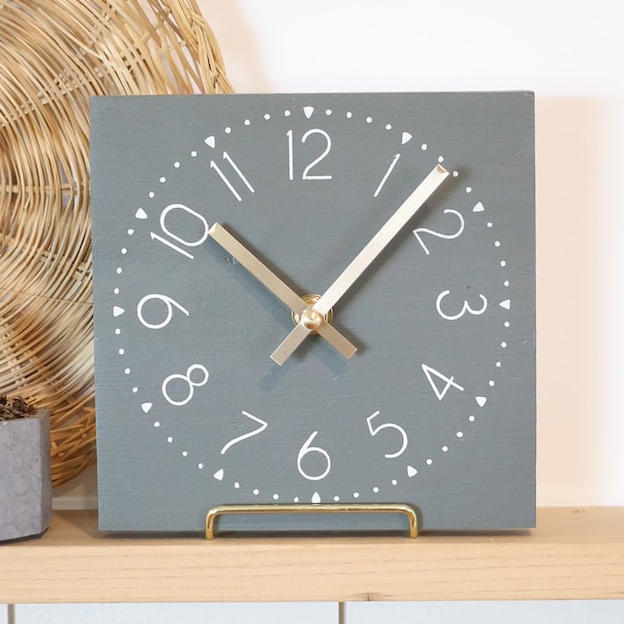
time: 10:07
